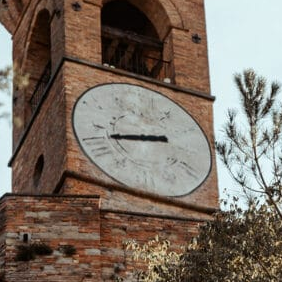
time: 8:42
